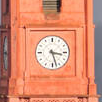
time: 3:27
